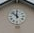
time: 11:52
